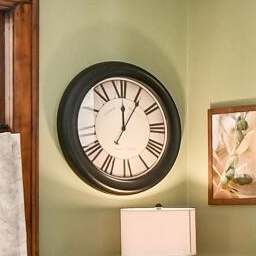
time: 12:05
